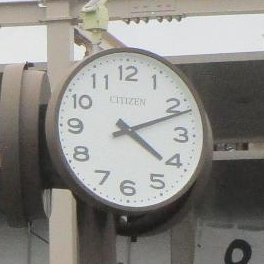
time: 4:11
